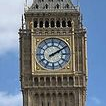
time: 2:09
